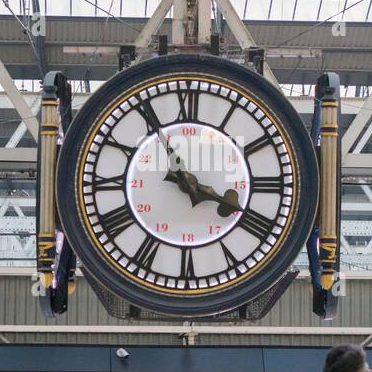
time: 3:55
